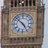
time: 4:52
